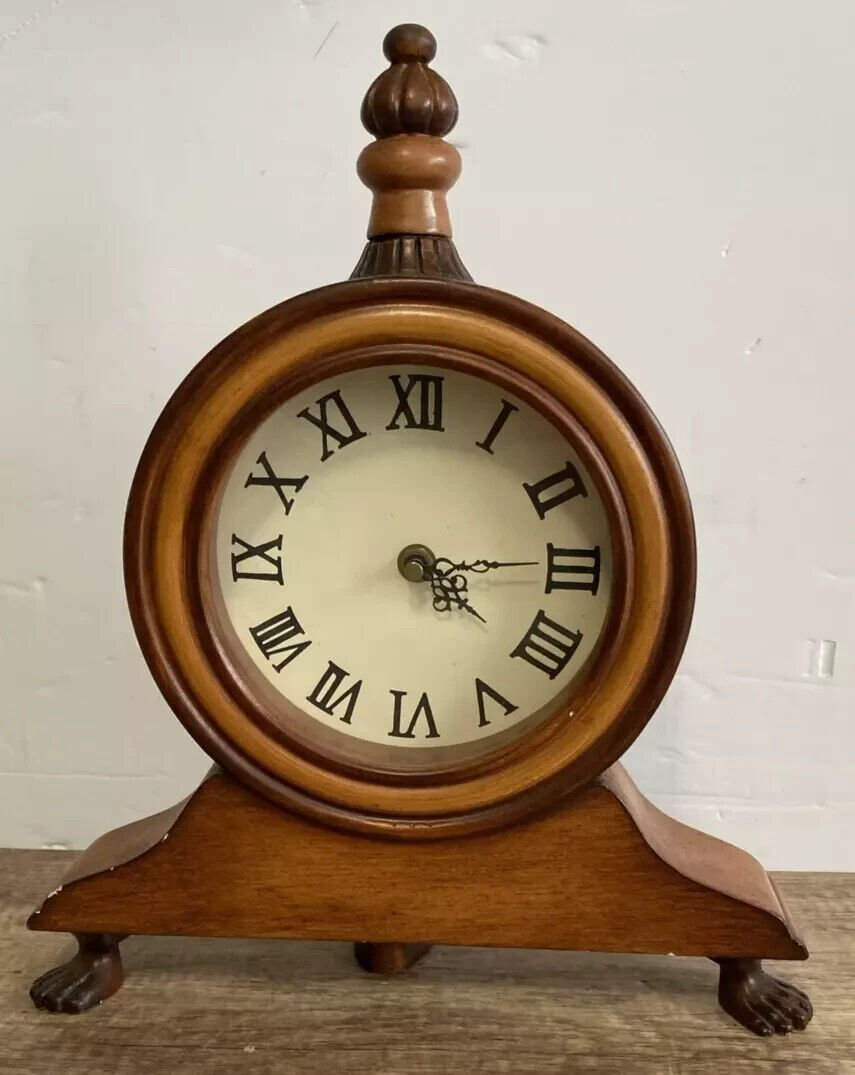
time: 4:14
